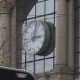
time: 3:02
